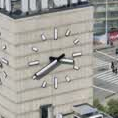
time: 3:40
